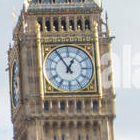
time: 12:55
